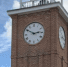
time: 2:50
